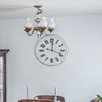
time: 12:18
